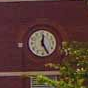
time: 12:25
